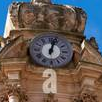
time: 12:02
